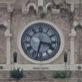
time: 3:32
